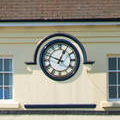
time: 12:48
